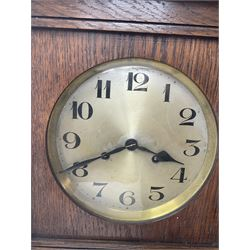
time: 3:40
